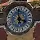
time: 3:58
